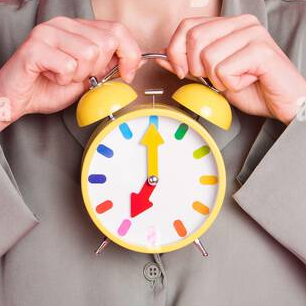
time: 7:00
